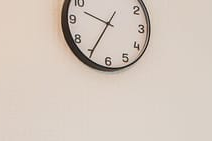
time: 9:35
